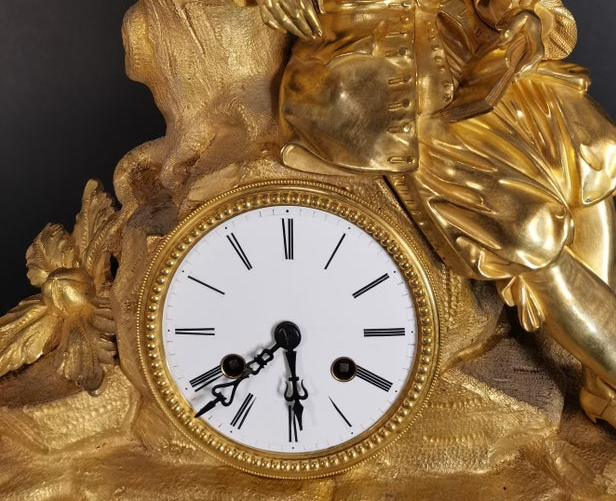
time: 7:29
